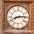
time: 8:14
